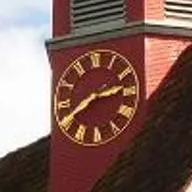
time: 2:40
